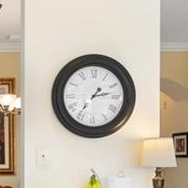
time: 2:36
